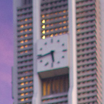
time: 5:42
